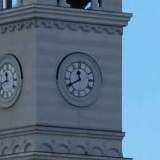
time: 11:40
